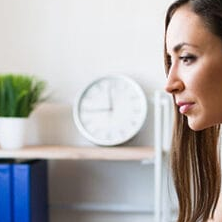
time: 11:44
